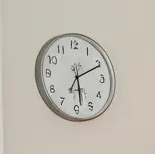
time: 6:10
